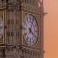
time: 4:04
